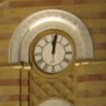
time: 12:01
